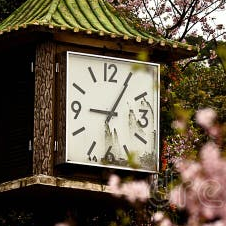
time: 9:05
